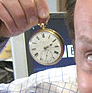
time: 2:15
